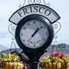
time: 1:08
